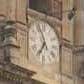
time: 6:56
